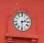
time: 2:29
